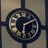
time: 6:10
